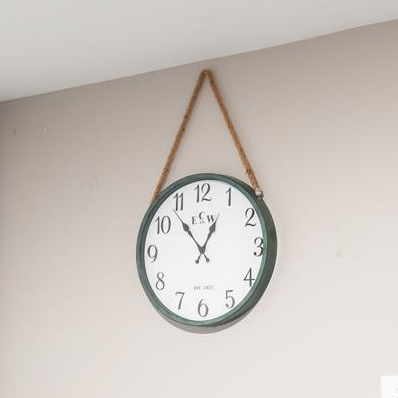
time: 12:53
